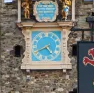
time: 4:40
